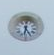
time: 6:25
